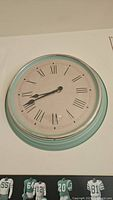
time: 8:41
